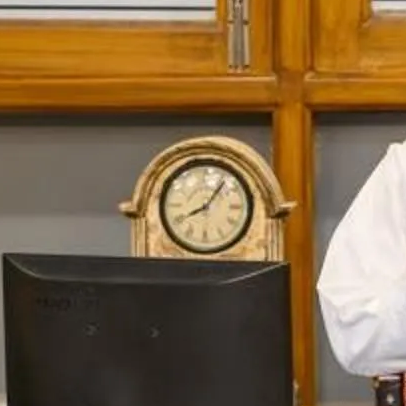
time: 8:06
